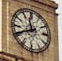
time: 11:40
